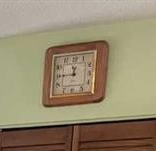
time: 11:45
